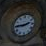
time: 2:45
